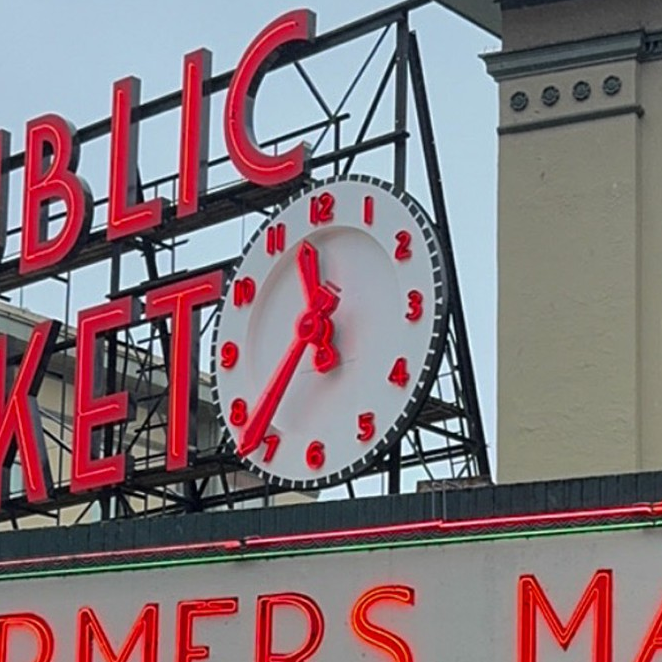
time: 11:36
